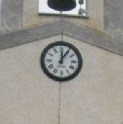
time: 12:05
